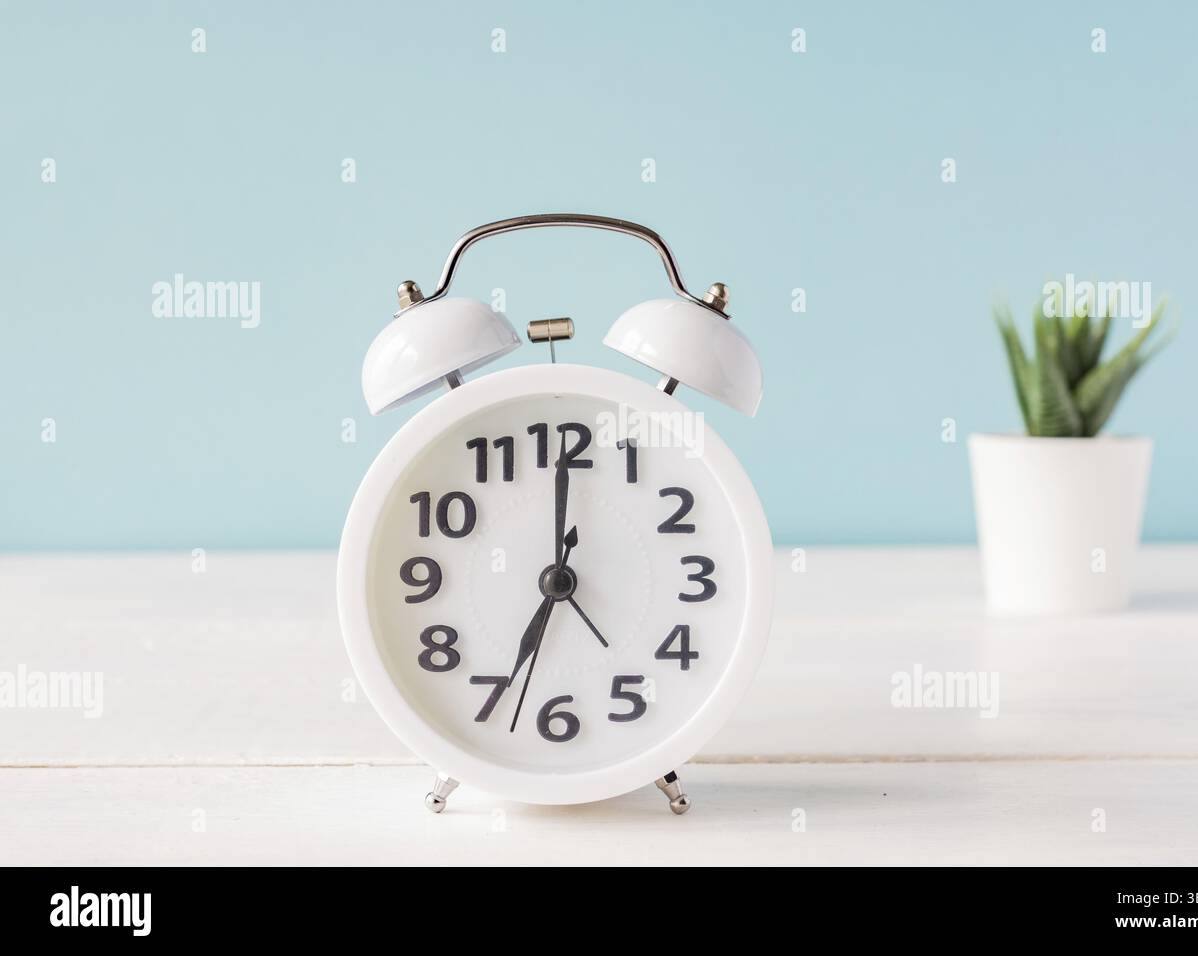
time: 7:00
